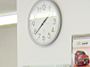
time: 1:38
